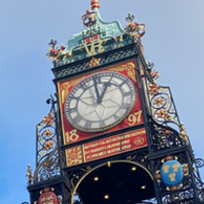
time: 12:59
